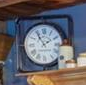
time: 1:54
